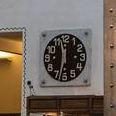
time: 11:32
